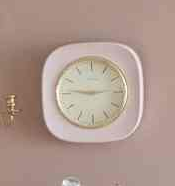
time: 9:14
